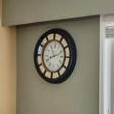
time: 8:11
